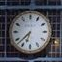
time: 6:37
